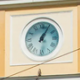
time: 1:05
